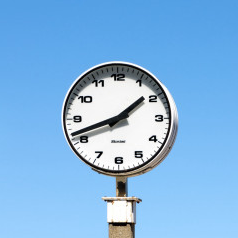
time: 1:41
